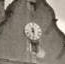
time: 11:28
